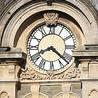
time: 8:21
